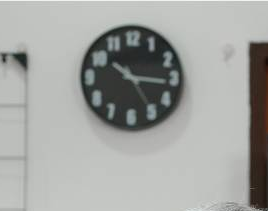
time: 10:15
